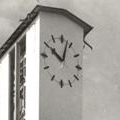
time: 10:02
